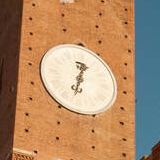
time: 12:33
